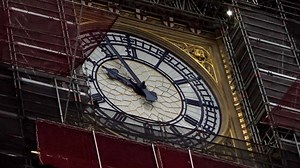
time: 9:54
